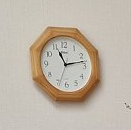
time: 11:12
